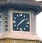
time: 1:37
